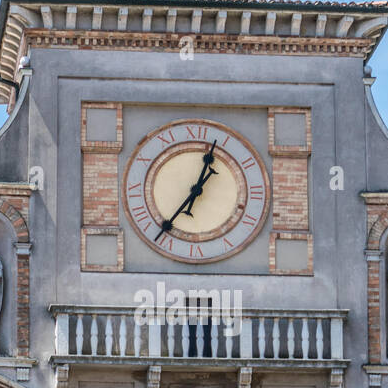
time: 12:36
